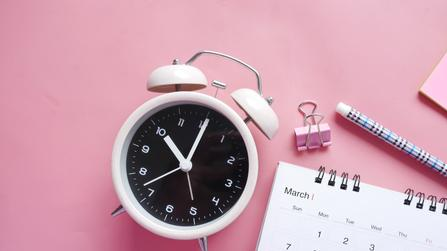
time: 11:05
